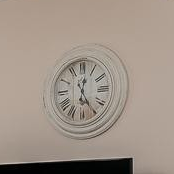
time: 12:24
